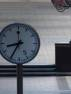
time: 8:35
